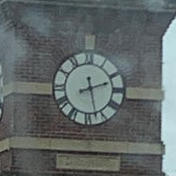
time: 2:27
